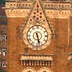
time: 5:27
